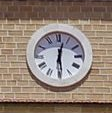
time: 12:29
